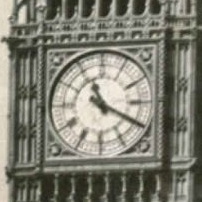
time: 11:19
